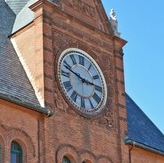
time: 2:48
